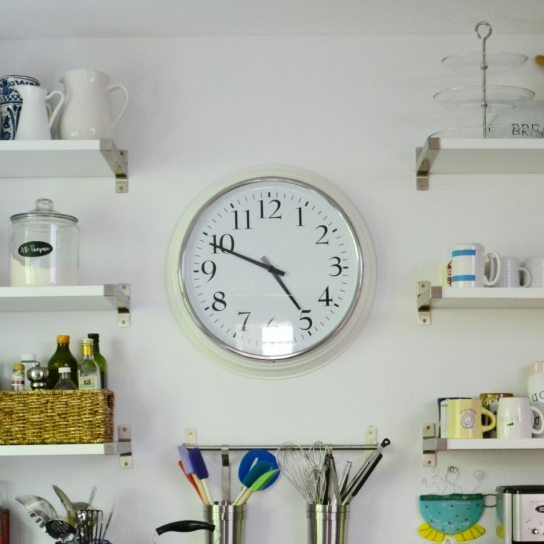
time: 4:49
